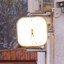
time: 6:27
